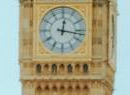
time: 12:16
